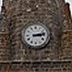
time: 3:13
